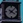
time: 4:07
